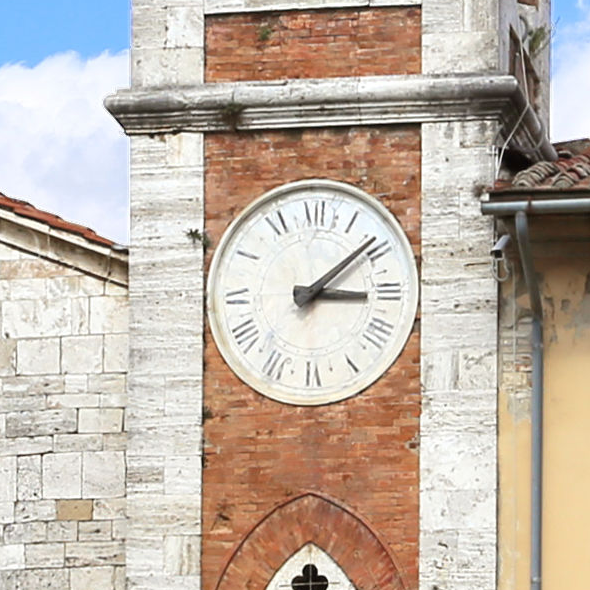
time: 3:08
